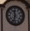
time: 11:33
